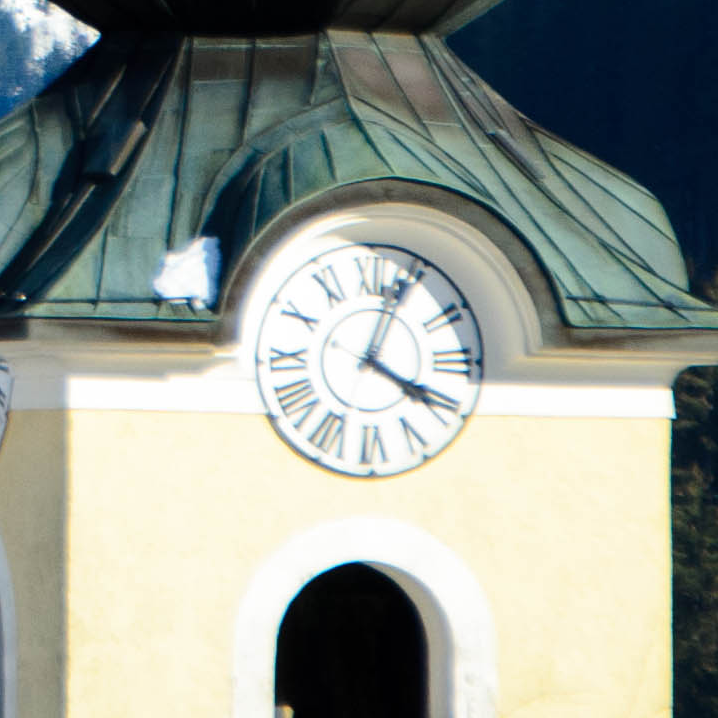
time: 4:03
